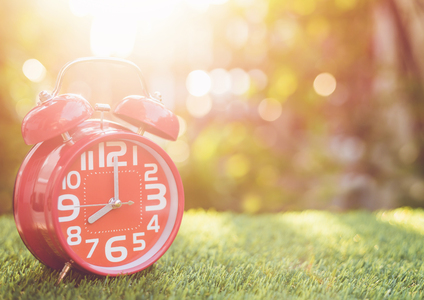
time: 8:00
